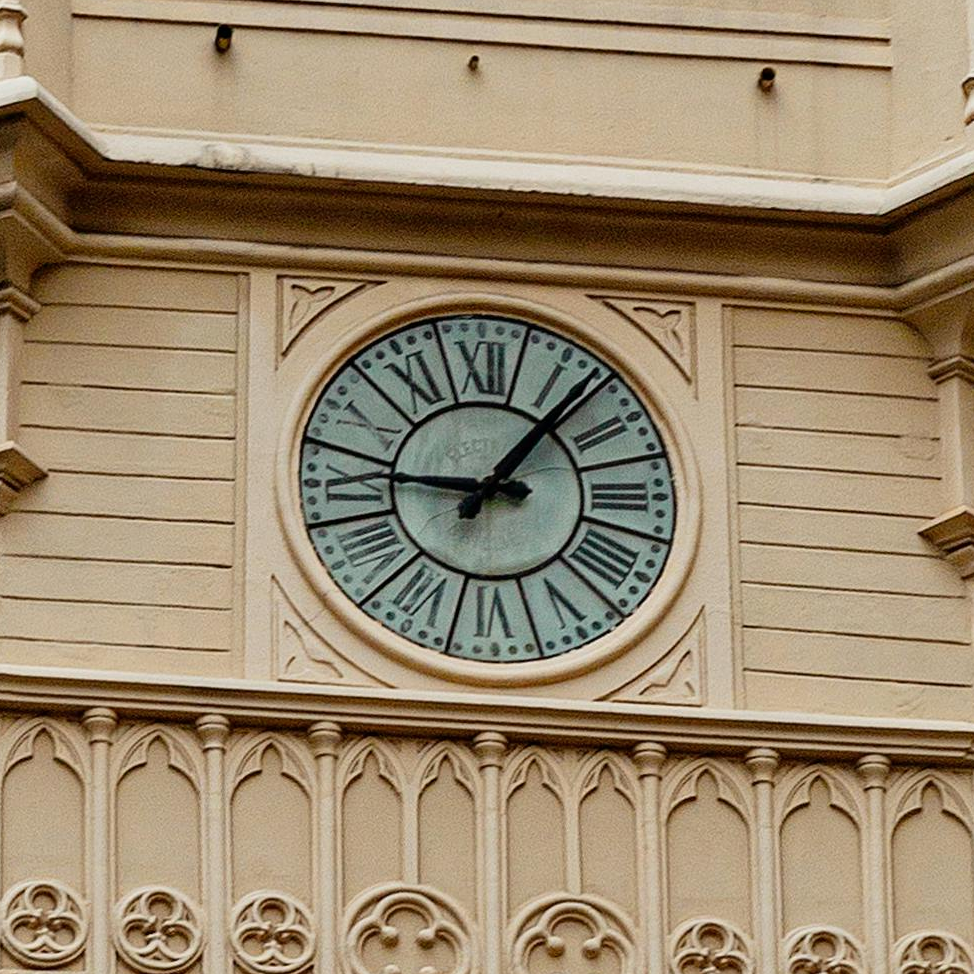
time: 9:07
